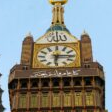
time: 6:15
